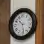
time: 10:28
